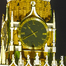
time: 10:40
